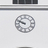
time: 9:48
